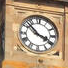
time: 3:52
